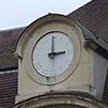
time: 2:59
